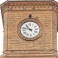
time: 10:47
